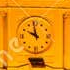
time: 9:58
